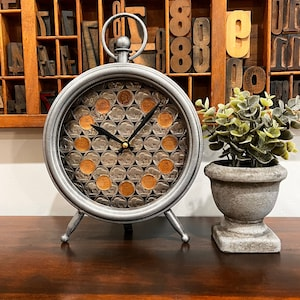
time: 10:07
